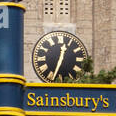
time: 12:33
